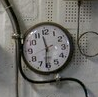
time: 11:31
